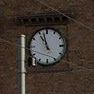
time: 10:57
